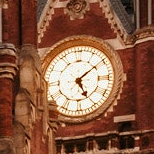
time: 5:09
